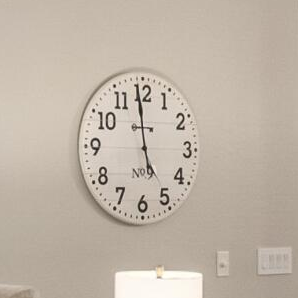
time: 4:58
